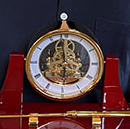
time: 5:58
